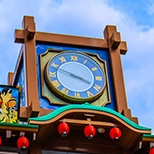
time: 3:48
